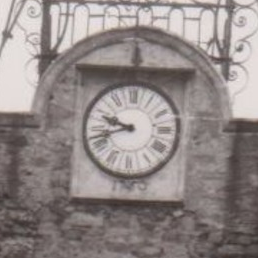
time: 9:42
